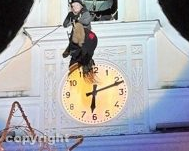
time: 6:11
